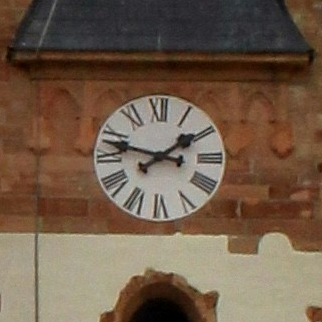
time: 1:47
